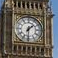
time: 1:30
